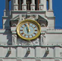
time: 5:57
